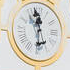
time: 11:29
